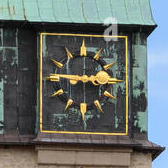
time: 2:45
